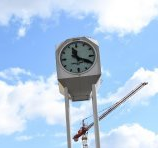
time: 11:19
